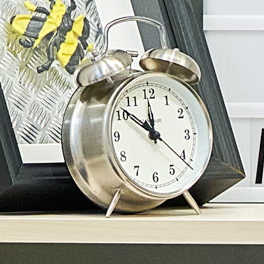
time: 11:51
